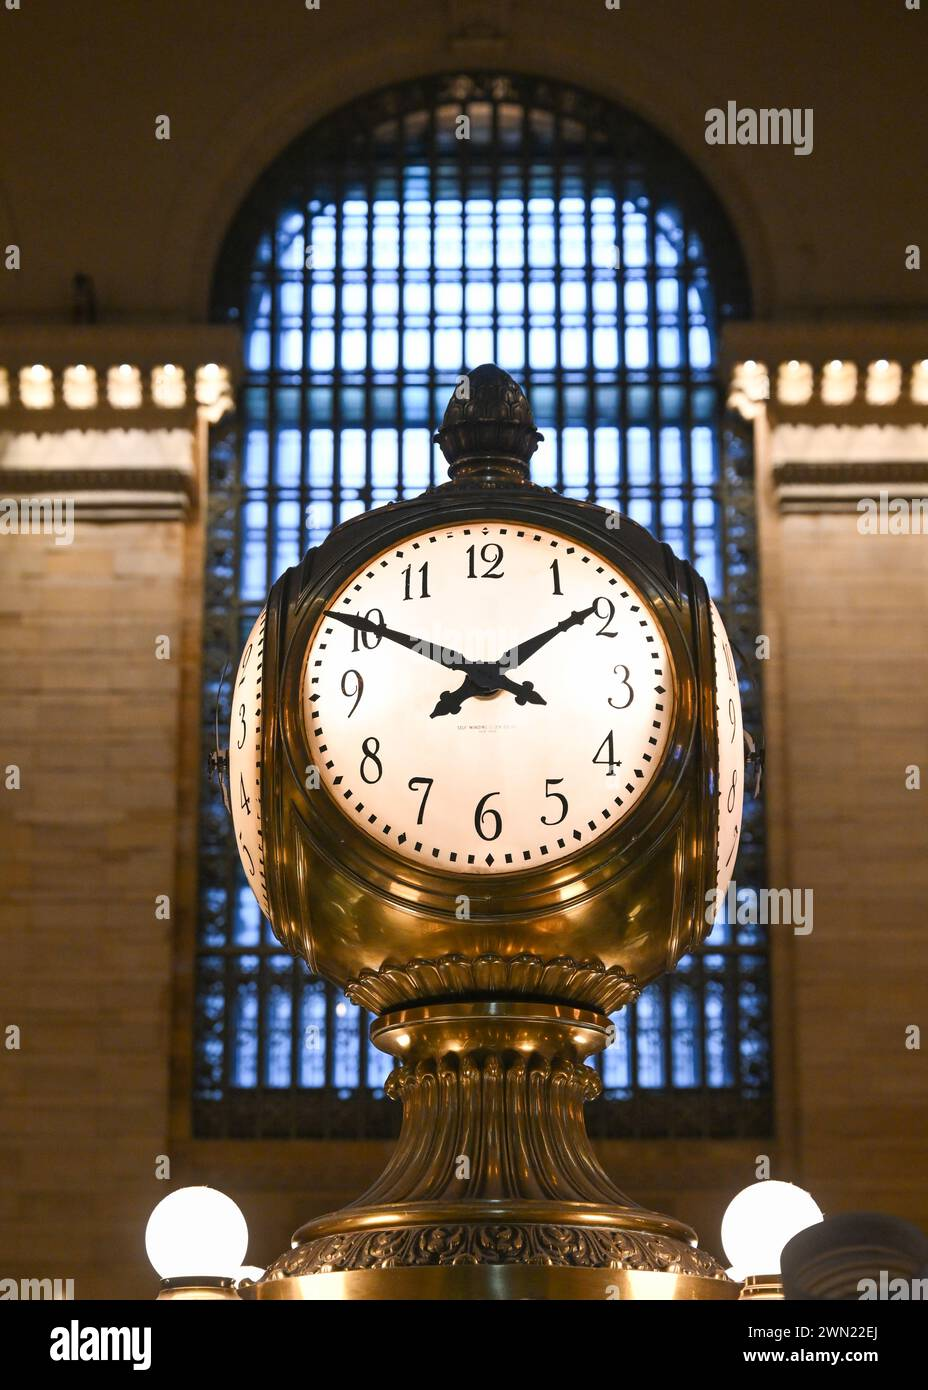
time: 1:50
